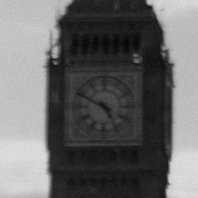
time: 4:49
